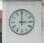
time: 3:00
